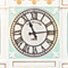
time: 11:13
